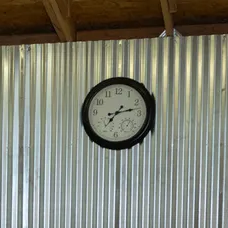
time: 7:12
